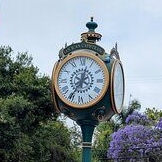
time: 12:35
